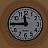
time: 11:45
